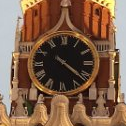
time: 4:21
